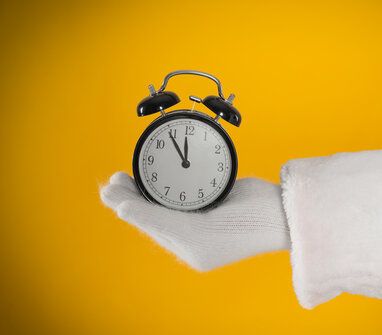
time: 11:54
